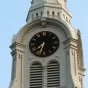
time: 7:32
